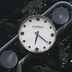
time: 6:21
